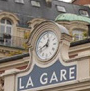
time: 12:41
